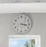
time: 3:17
